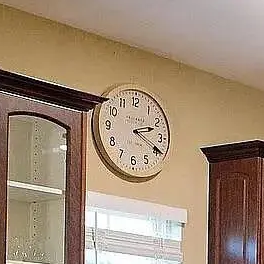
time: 2:19
